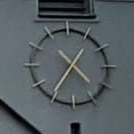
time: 4:35
